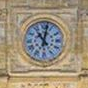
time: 11:02
